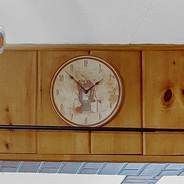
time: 1:52
